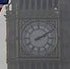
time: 2:10
